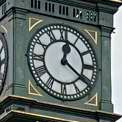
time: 12:20
